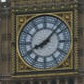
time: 8:07
